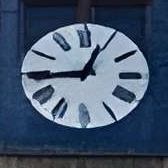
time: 12:44
